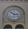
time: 2:52
